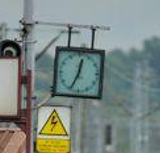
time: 12:34
